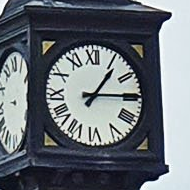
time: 1:14
